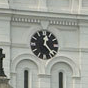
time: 12:23
